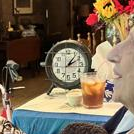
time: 2:06
